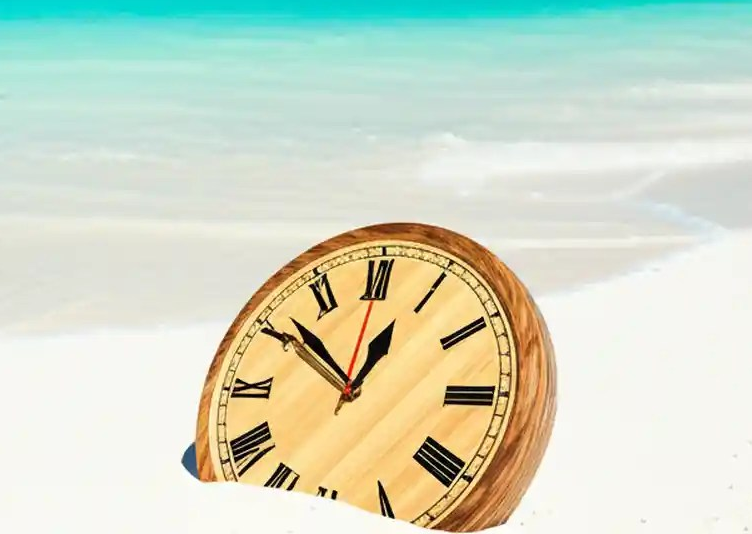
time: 12:51
